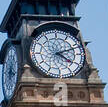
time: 4:11
